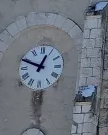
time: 12:48
